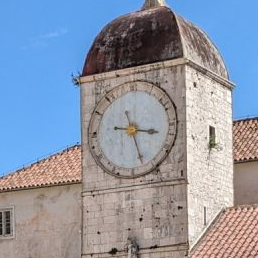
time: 3:27
